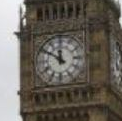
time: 11:50
